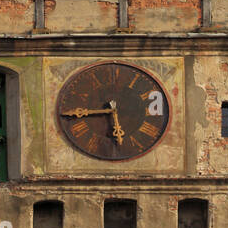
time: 5:43
